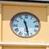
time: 11:28
